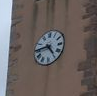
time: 4:44
